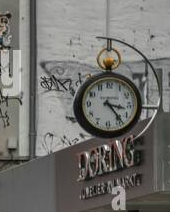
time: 3:23
